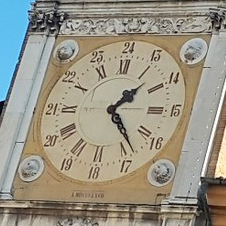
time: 1:23
